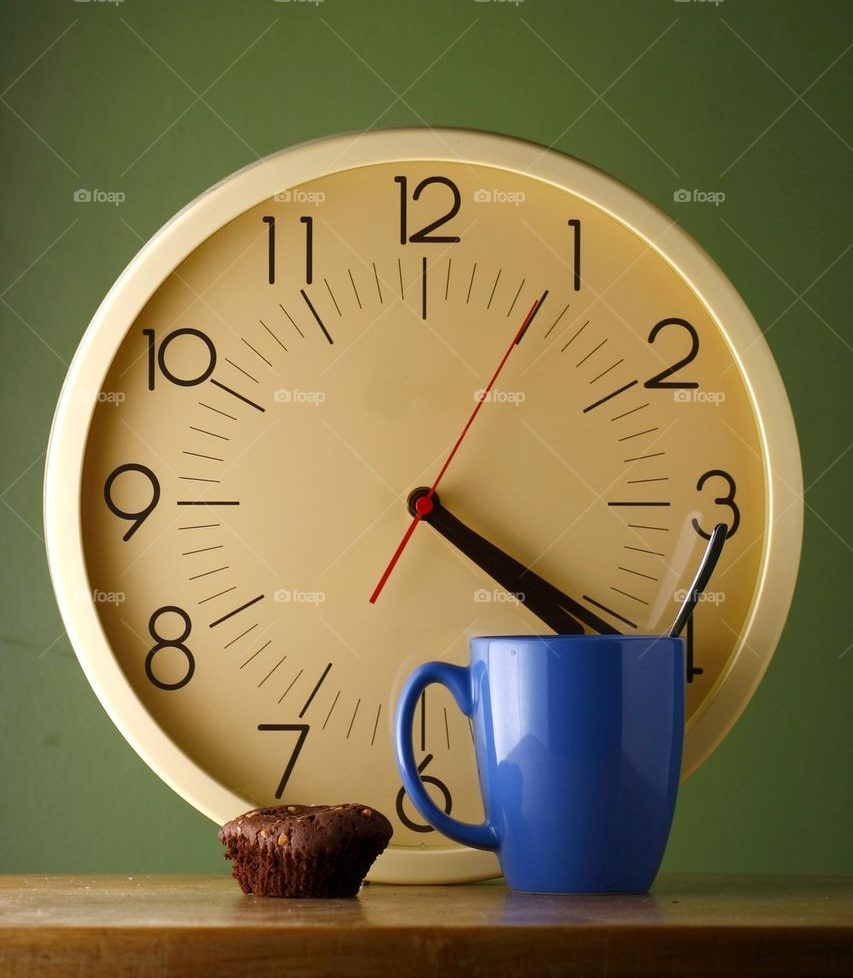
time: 4:20
